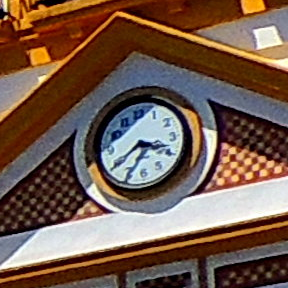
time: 3:39
